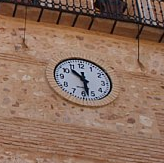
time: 10:28
